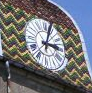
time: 3:02
